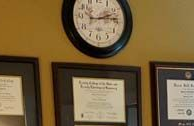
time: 2:13
